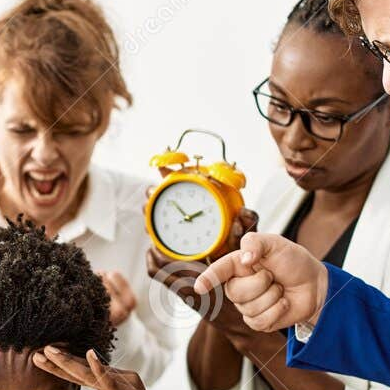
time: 1:51
